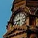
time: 8:32
